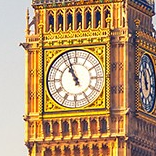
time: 10:56
